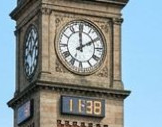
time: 1:59
